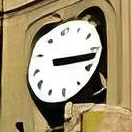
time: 3:17
